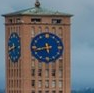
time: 5:42
